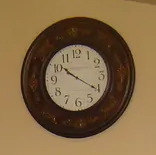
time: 10:20
